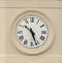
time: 10:26
